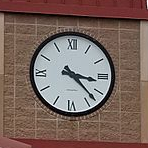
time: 3:22
